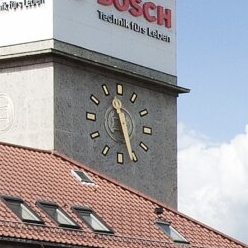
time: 11:26
